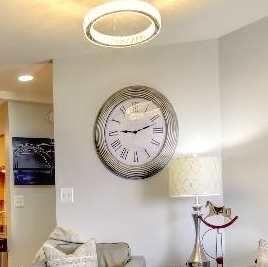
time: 9:12
